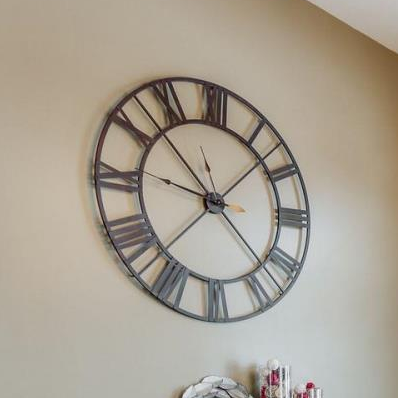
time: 9:07
